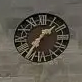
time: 1:36
